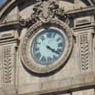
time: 4:21
